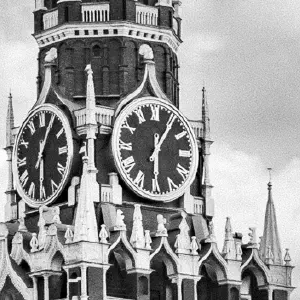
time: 6:06
